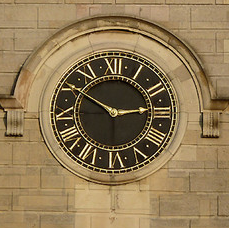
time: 2:50
